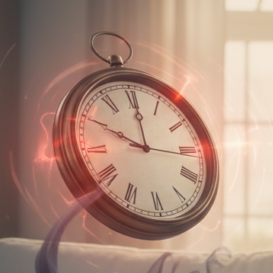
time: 10:00
